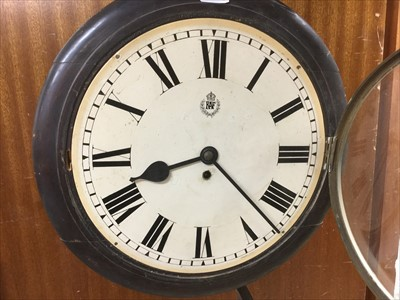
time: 8:22
